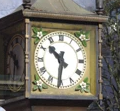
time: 10:31
